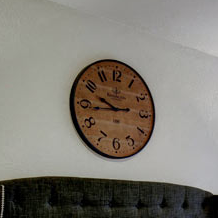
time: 9:43
